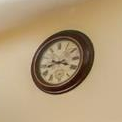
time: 3:43
